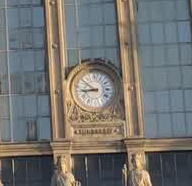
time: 8:50
